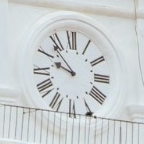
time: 9:53
